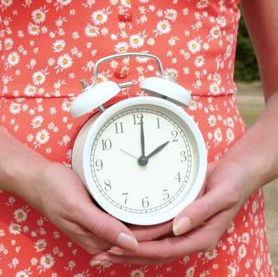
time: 2:01
